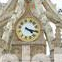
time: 4:16
